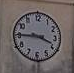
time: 3:45
